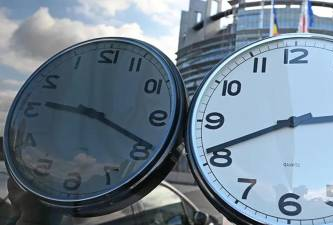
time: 9:19
